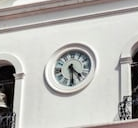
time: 4:29
